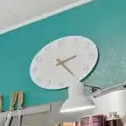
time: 2:24
